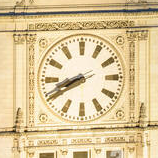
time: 8:40
